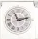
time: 11:13
